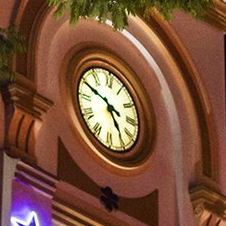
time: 4:49
